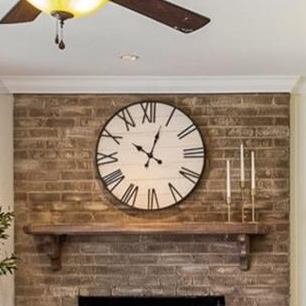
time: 10:03
